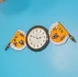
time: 2:48
